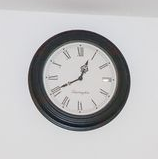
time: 12:40
